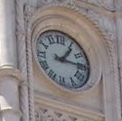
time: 1:14
